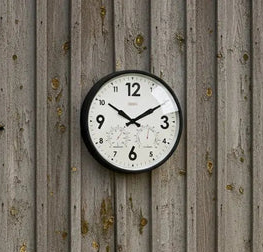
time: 10:10
